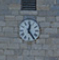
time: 12:24
